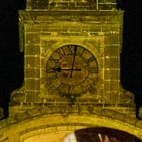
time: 9:01
